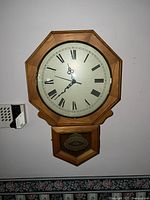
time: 11:37
